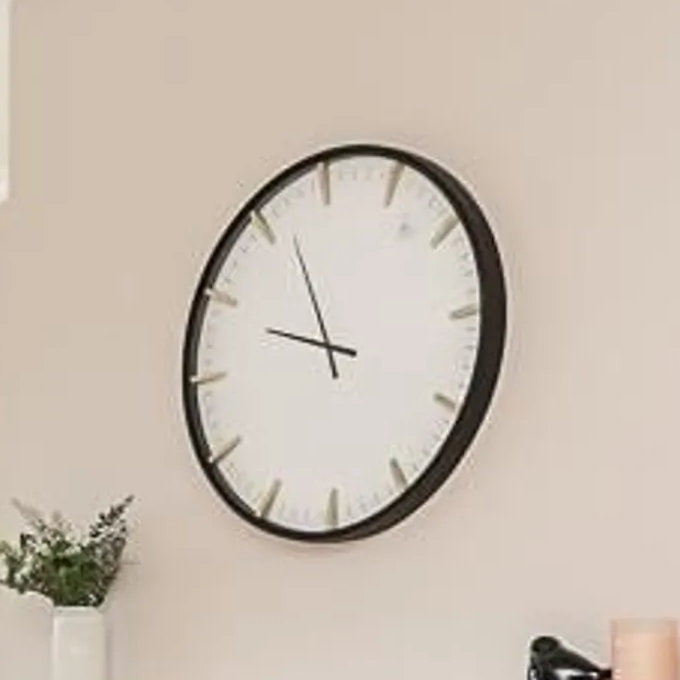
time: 9:56
